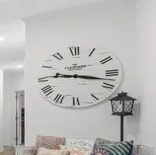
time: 9:17
